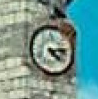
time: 4:13
